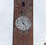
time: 11:23
